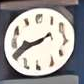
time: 8:40
